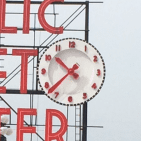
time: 10:37
